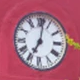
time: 7:01
